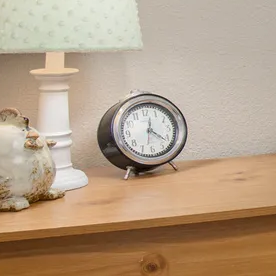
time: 12:21
